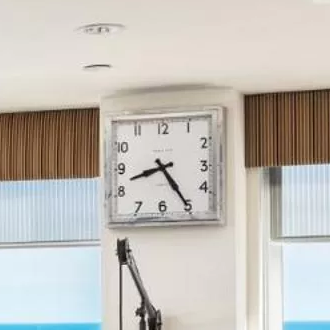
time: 8:24
